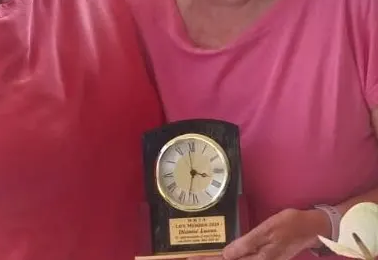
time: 3:32
